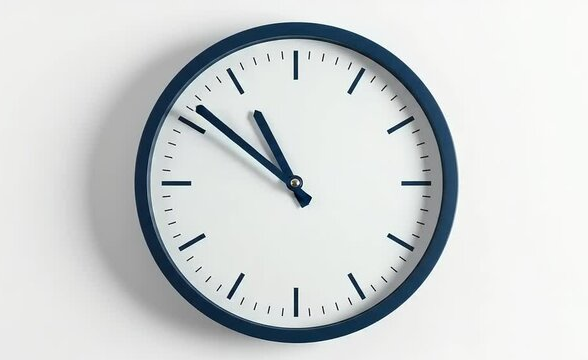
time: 10:51
